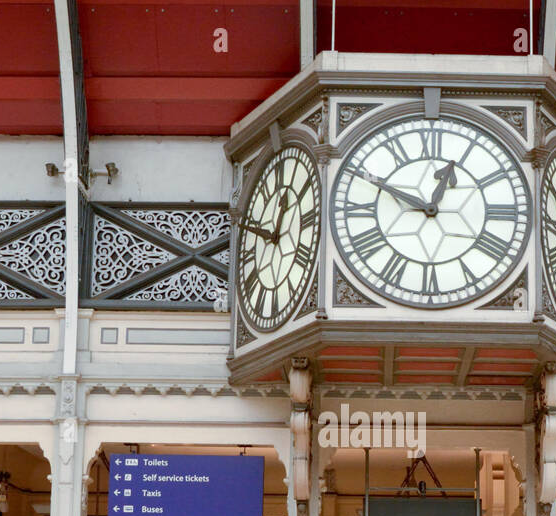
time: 12:49
